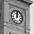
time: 12:02
